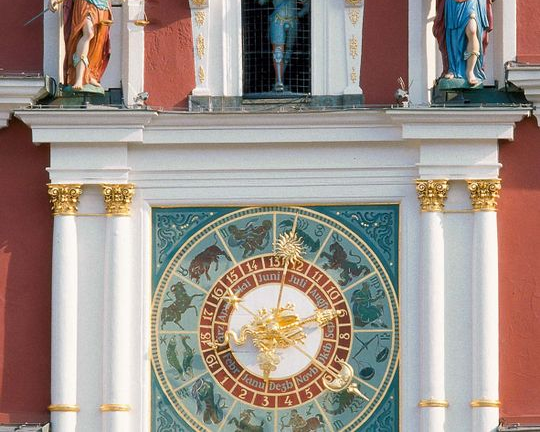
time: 2:40
